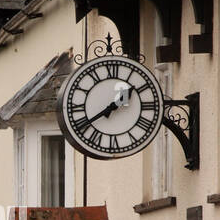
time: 1:39
